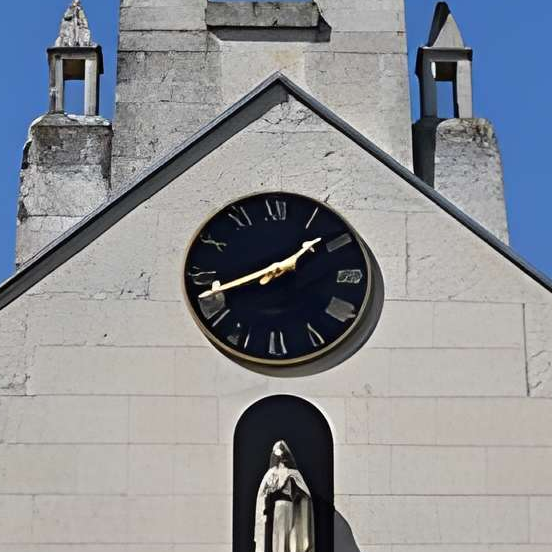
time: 1:42
